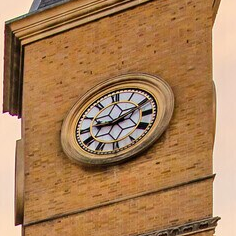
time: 9:10
